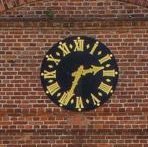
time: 2:33
